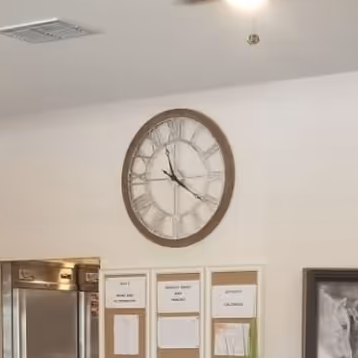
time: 11:21
